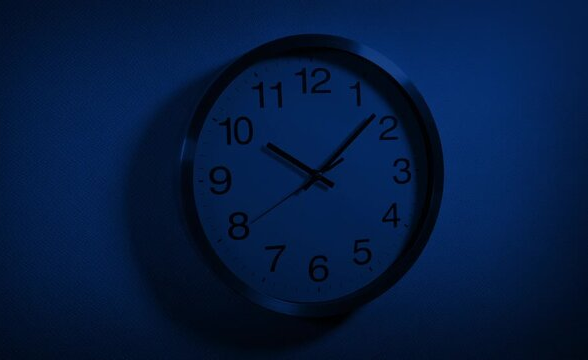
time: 10:07
